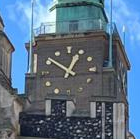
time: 12:50
